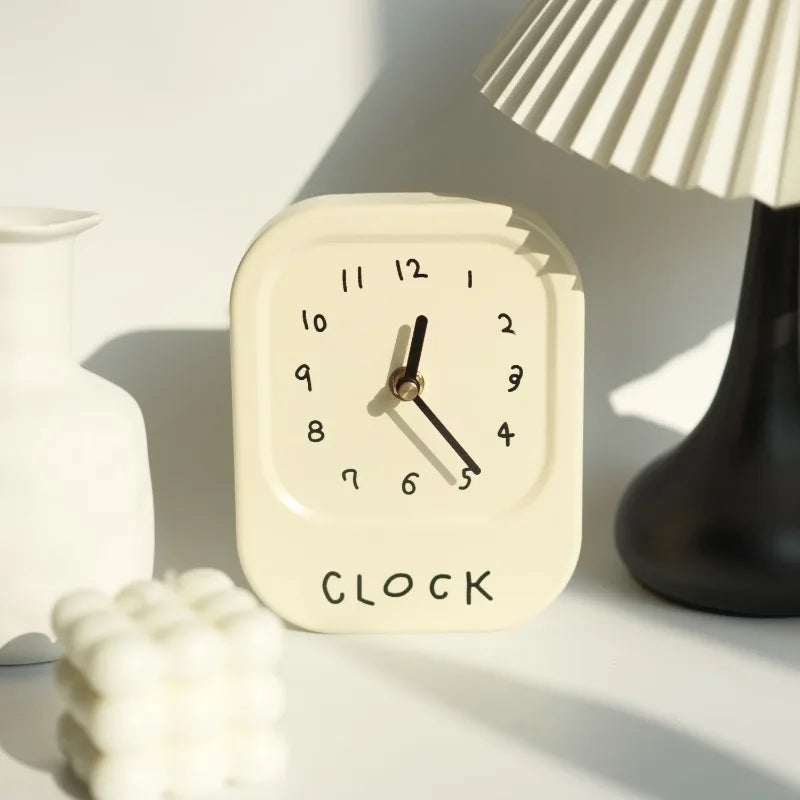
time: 12:23
